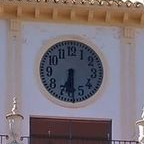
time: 6:29
